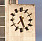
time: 7:26
